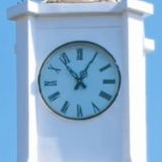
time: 12:53
